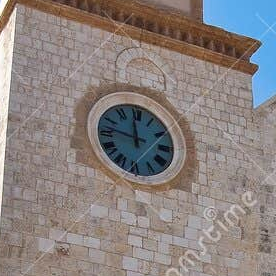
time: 11:46
